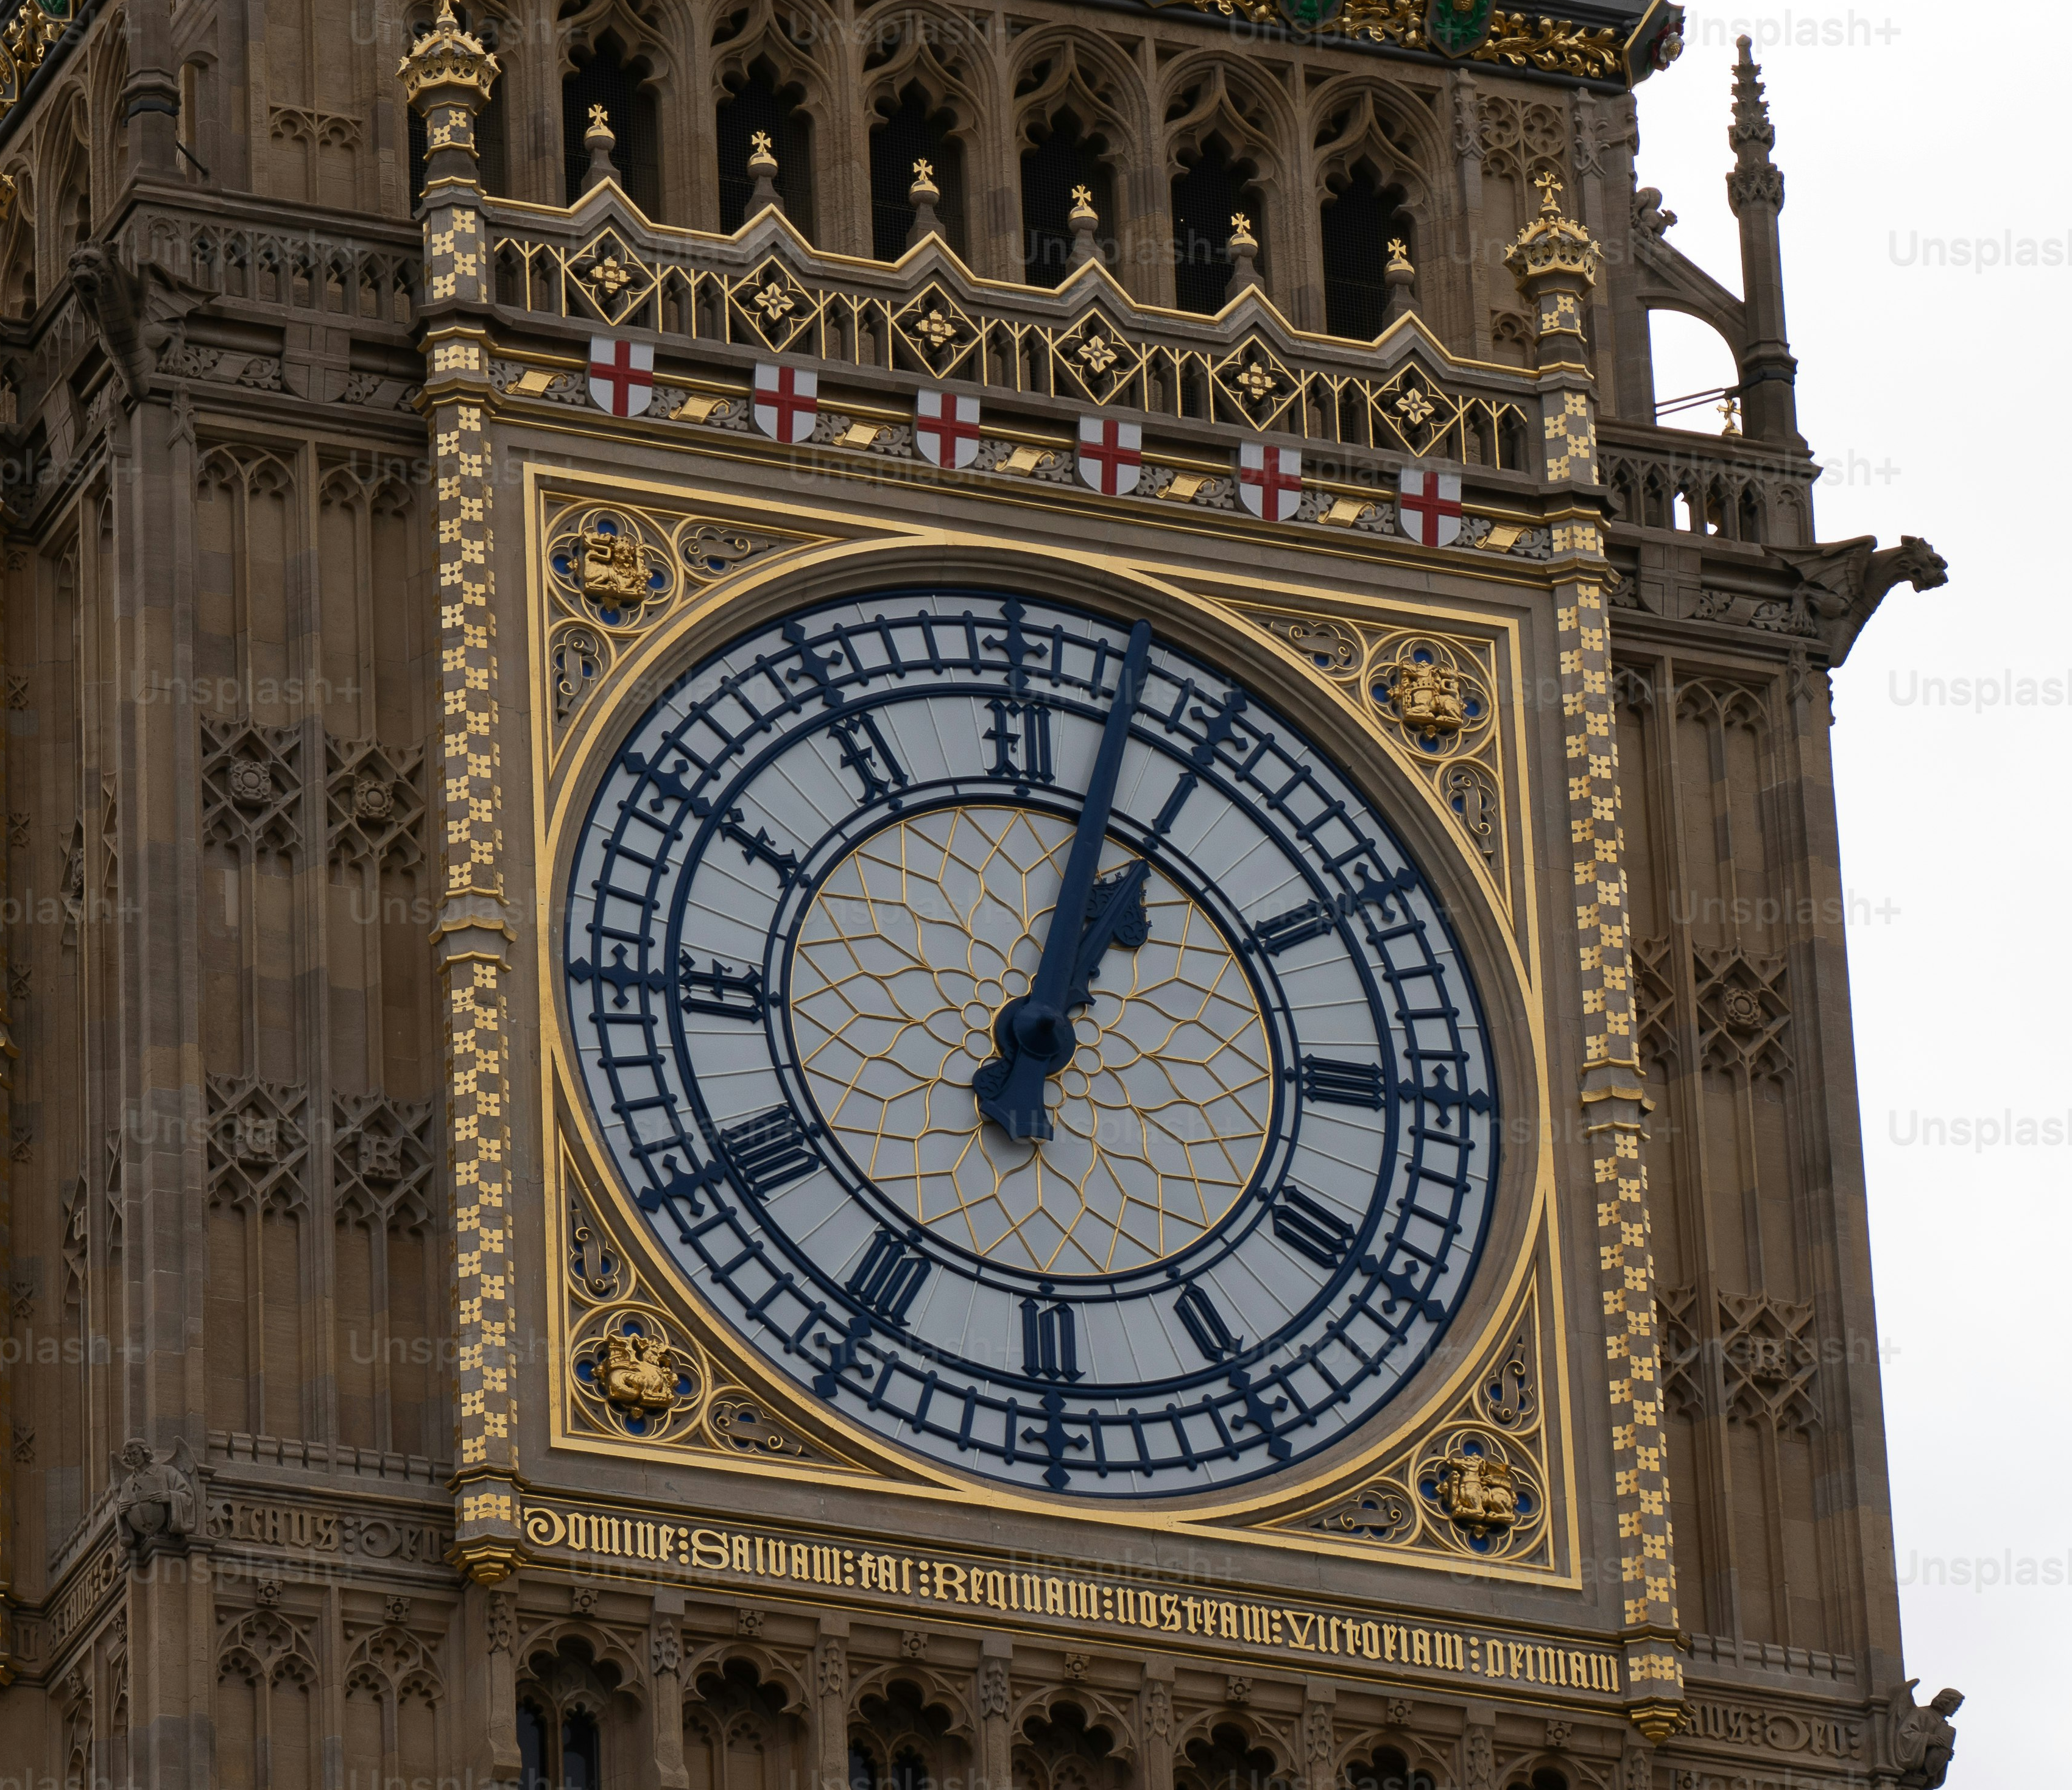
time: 1:02
